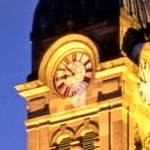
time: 8:52
